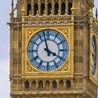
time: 3:57
